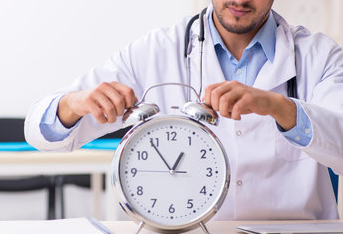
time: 12:54
